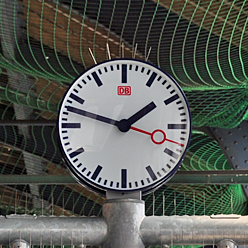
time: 1:47
